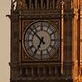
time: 6:52
